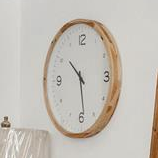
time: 10:28
